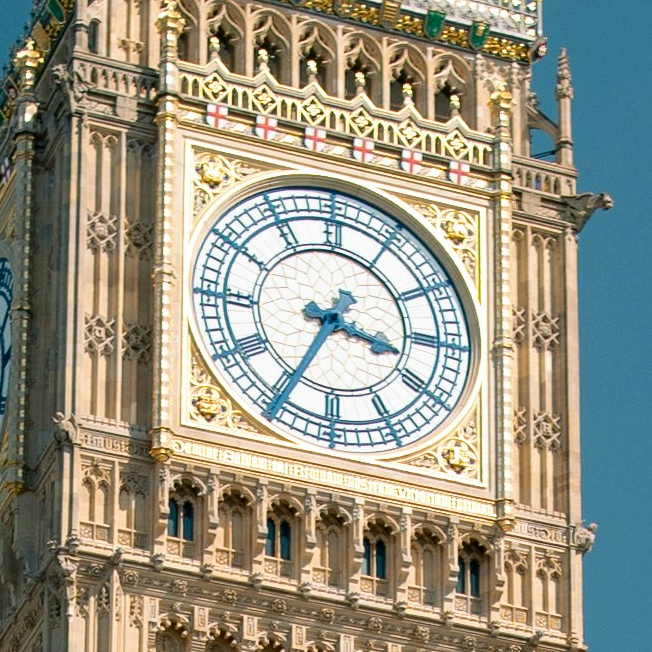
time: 3:34
